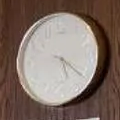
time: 5:21
